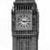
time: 2:48
